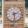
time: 2:28
